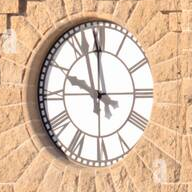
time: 9:57
